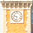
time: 9:32
